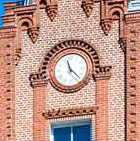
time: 11:22
